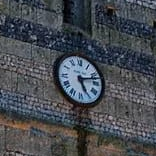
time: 5:12
